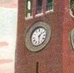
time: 1:28
